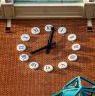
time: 8:01
